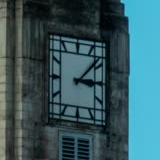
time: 3:08
